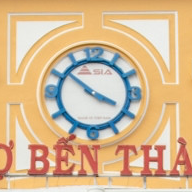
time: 3:51
